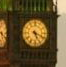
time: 5:18
